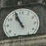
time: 10:56
